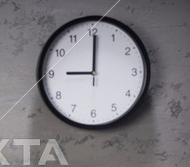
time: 9:00
